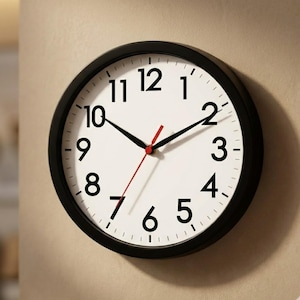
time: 10:10
